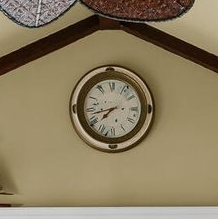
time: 7:42
